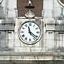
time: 11:21
